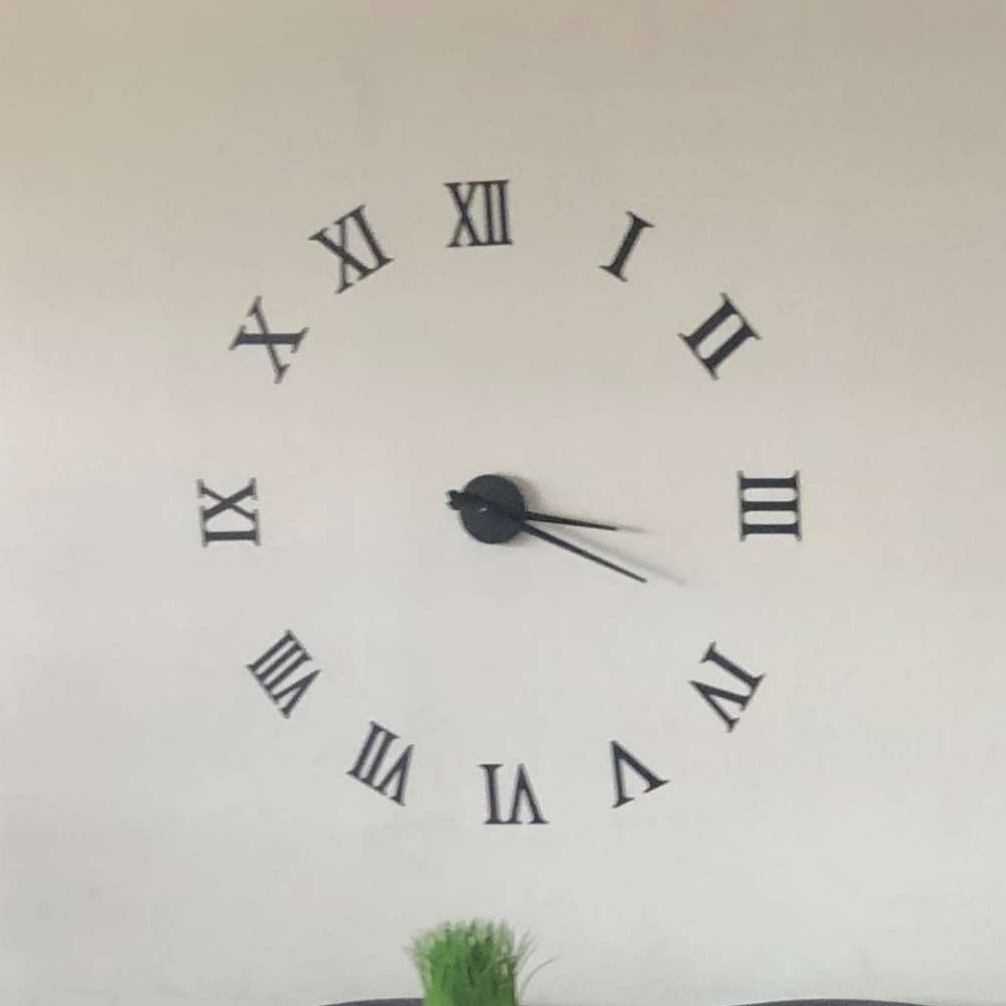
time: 3:18
